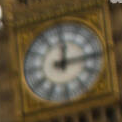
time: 12:14
